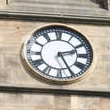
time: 2:25
